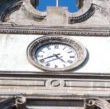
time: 4:40
